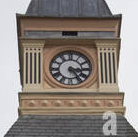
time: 3:24
